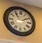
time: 1:54
